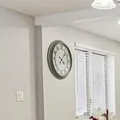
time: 4:07
